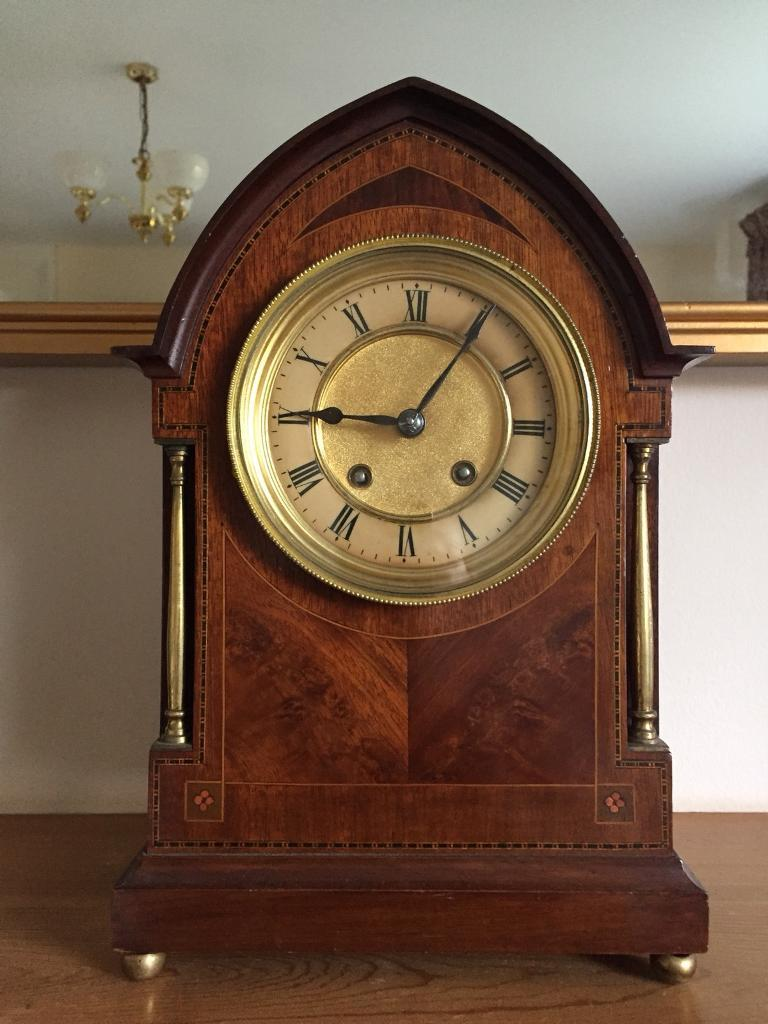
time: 9:05
